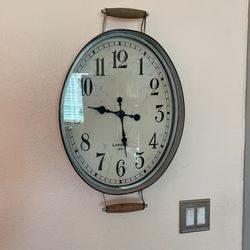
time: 5:46
